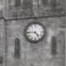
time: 4:45
